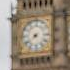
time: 7:38
